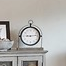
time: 9:13
